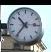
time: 10:36
